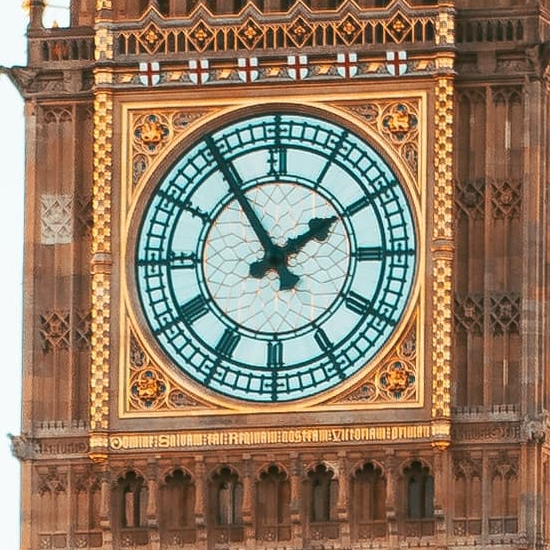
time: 1:54
